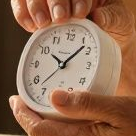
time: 10:07
